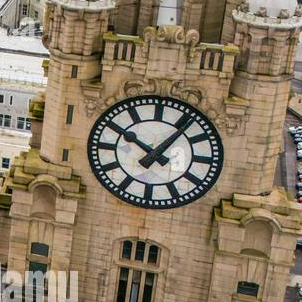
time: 10:06
